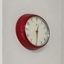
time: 12:29
